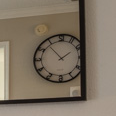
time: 1:53
